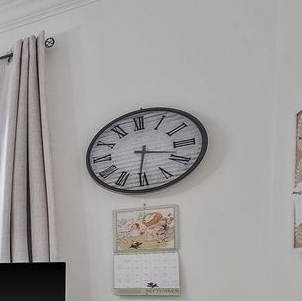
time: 3:31
